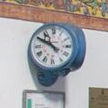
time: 10:50
